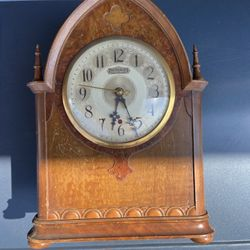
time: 5:32
